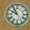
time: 9:55
